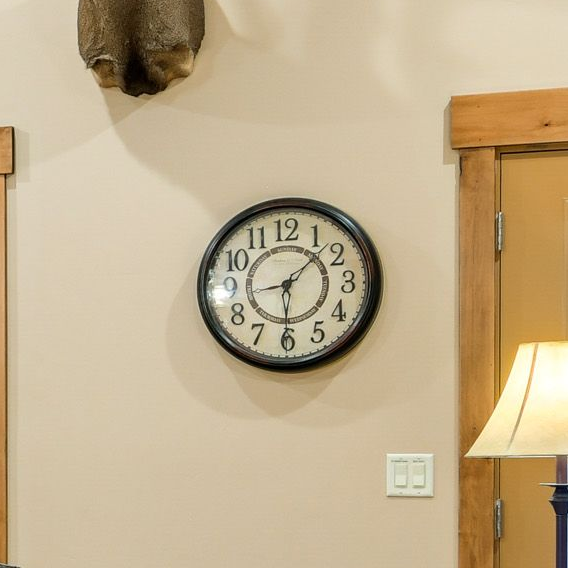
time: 1:30
